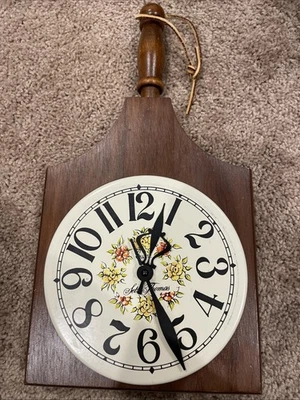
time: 12:26
